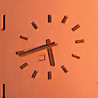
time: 5:43
